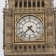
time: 4:37
